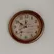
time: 11:50
